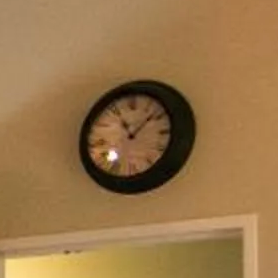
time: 11:07
